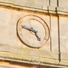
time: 4:46
